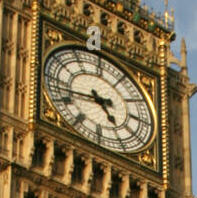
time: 4:42
